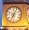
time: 7:04
